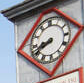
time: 8:41
